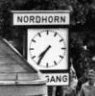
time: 7:35
